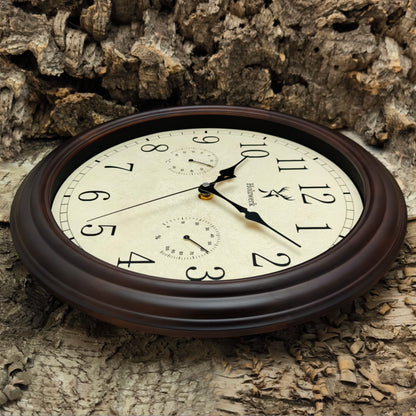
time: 1:22
